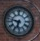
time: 6:47
